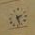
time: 2:27
